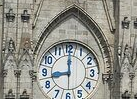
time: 9:00
